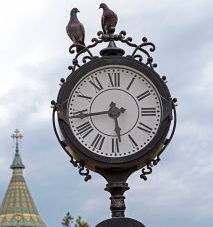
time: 5:43
